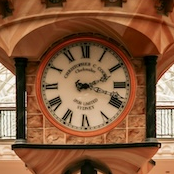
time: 2:18
